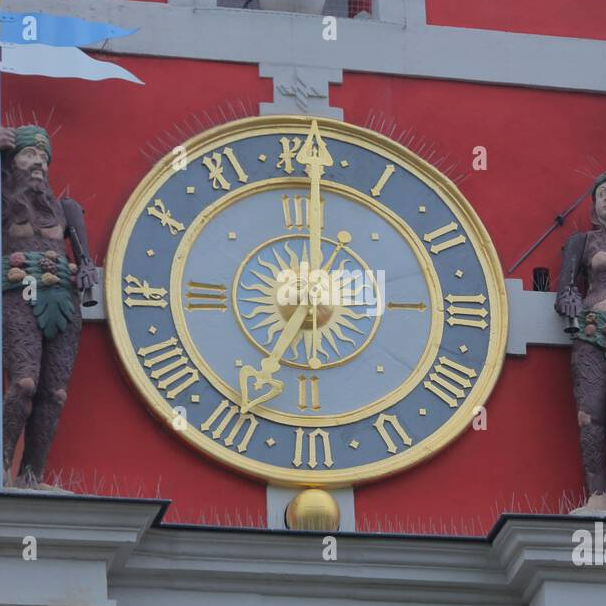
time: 7:00
